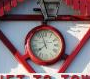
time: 7:57
